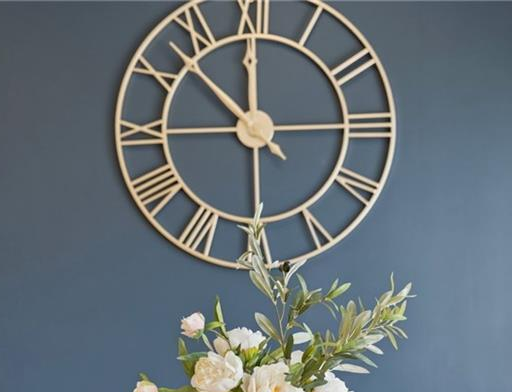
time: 11:52
